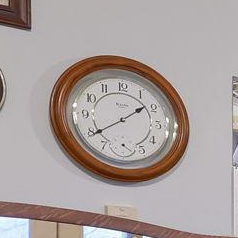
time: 1:39
